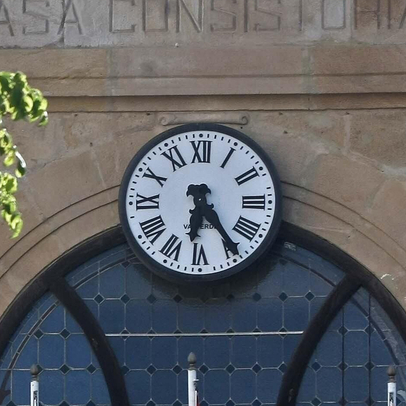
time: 6:24
